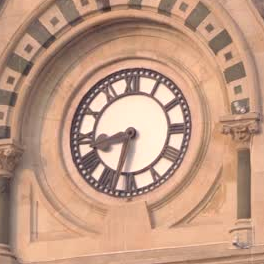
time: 8:32
